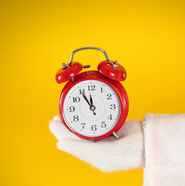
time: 11:54
